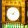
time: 9:07
